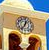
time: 12:36
